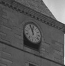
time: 11:56
